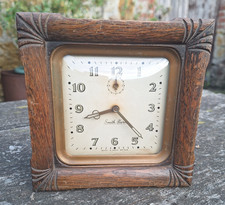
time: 8:22
